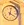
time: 4:02
